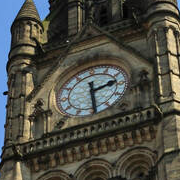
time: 2:29
